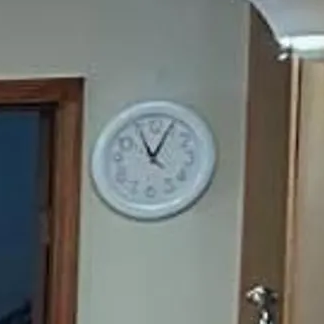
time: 11:04
